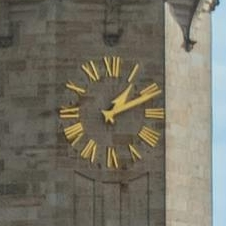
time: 1:11
